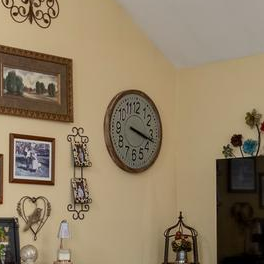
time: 3:17
